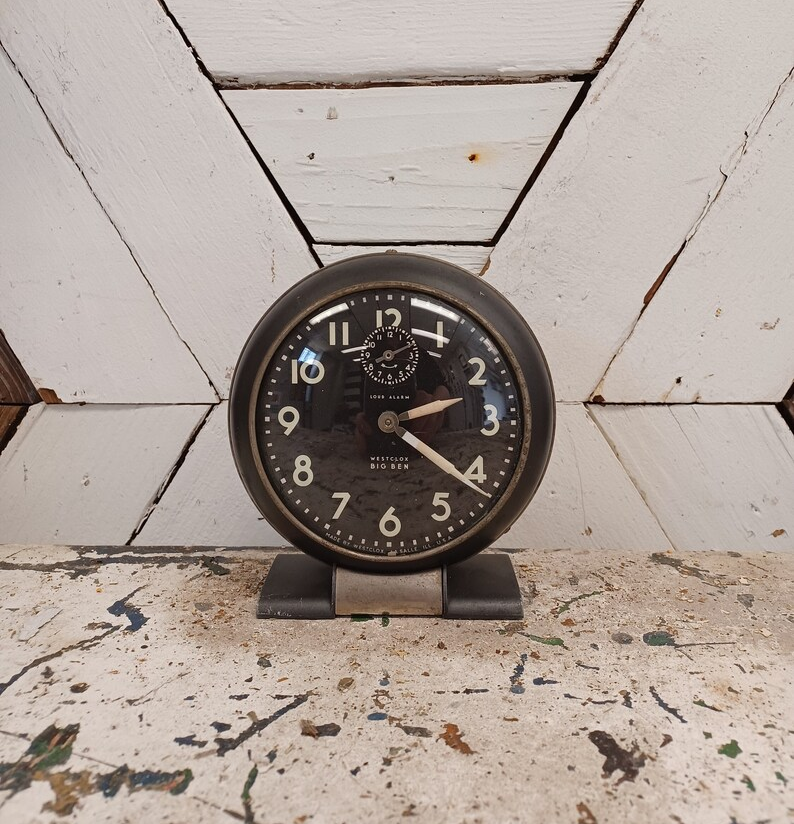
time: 2:21
